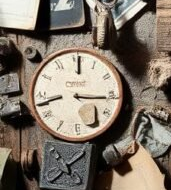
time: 3:15
